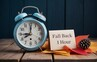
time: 8:00
